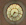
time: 7:15
